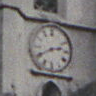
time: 2:40
